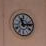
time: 11:13
